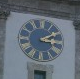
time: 3:09
